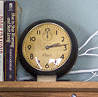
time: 2:13
